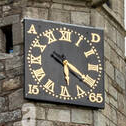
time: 5:20
